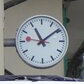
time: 11:09
